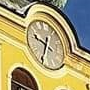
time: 9:33
